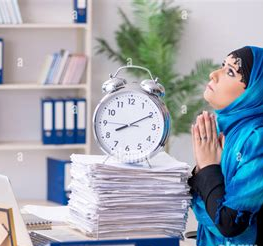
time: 8:10
